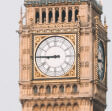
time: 8:45
